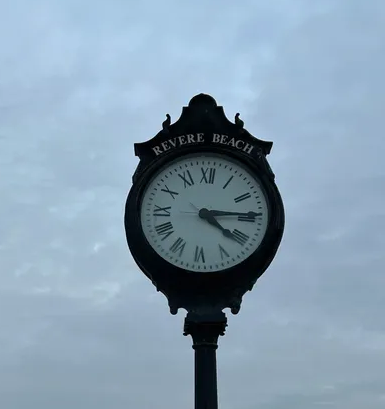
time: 4:14
